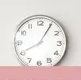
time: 8:05
